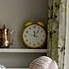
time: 12:06
